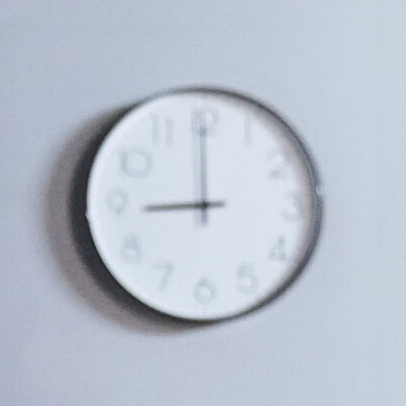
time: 8:59
